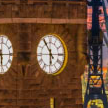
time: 5:54
